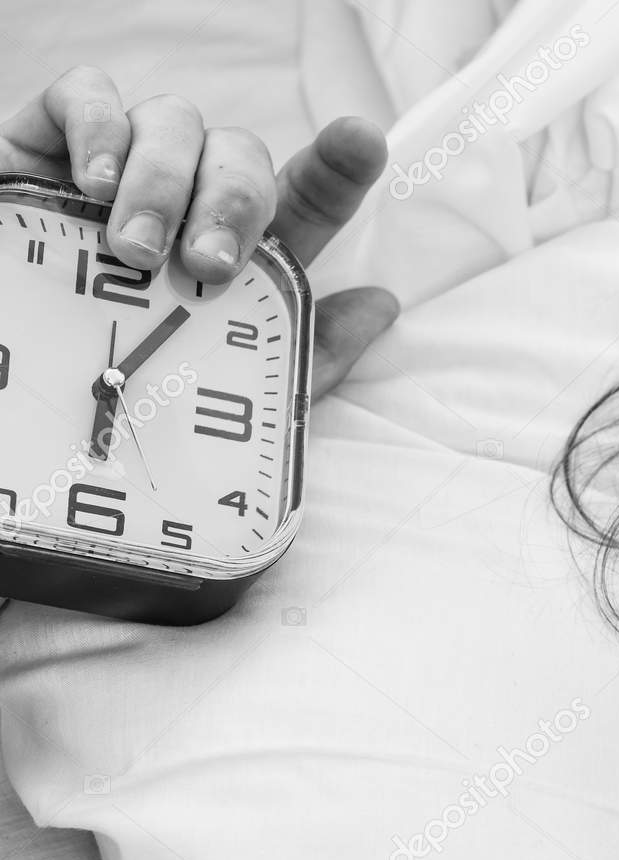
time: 6:06
